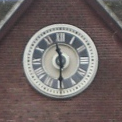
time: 5:57
